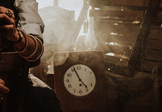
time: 4:56
